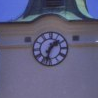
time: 1:32
